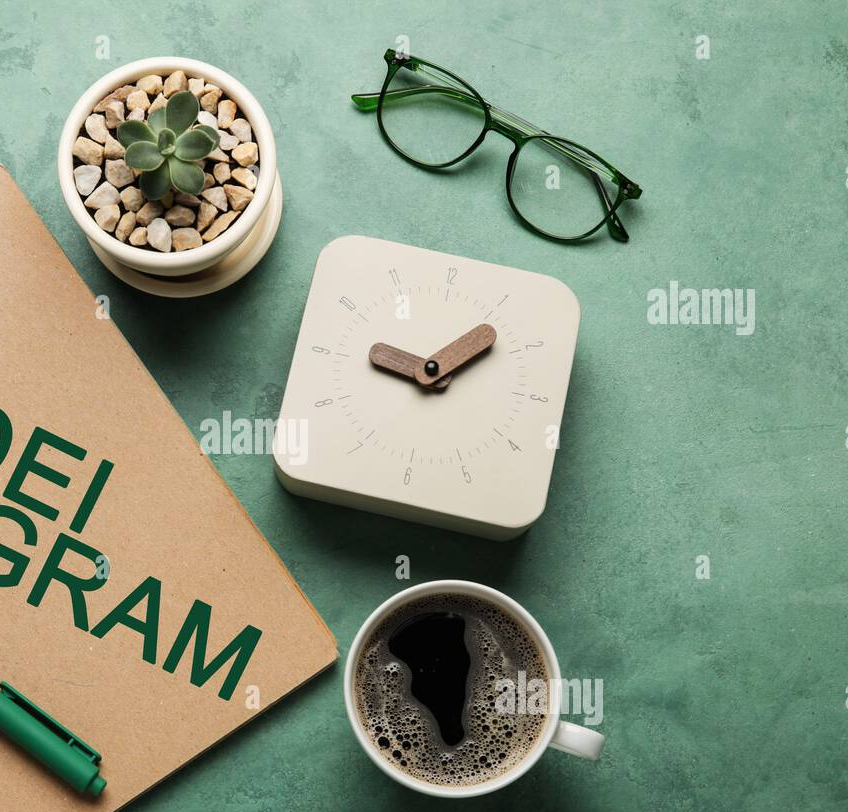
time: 9:08
